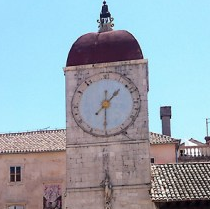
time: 1:30
